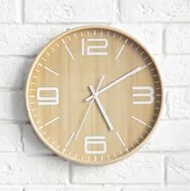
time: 5:09
